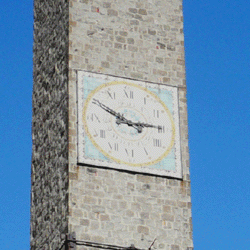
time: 2:49
